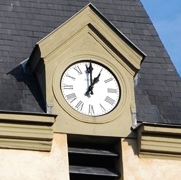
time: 1:00
